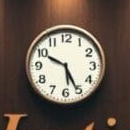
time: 5:49
